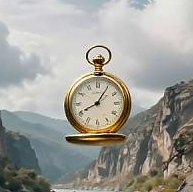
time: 8:05
